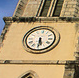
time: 5:30
